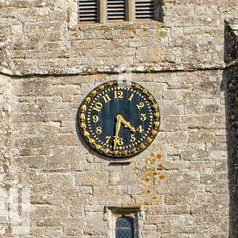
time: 4:31
